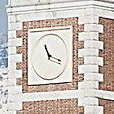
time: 11:18
